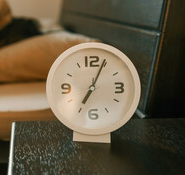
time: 7:04
